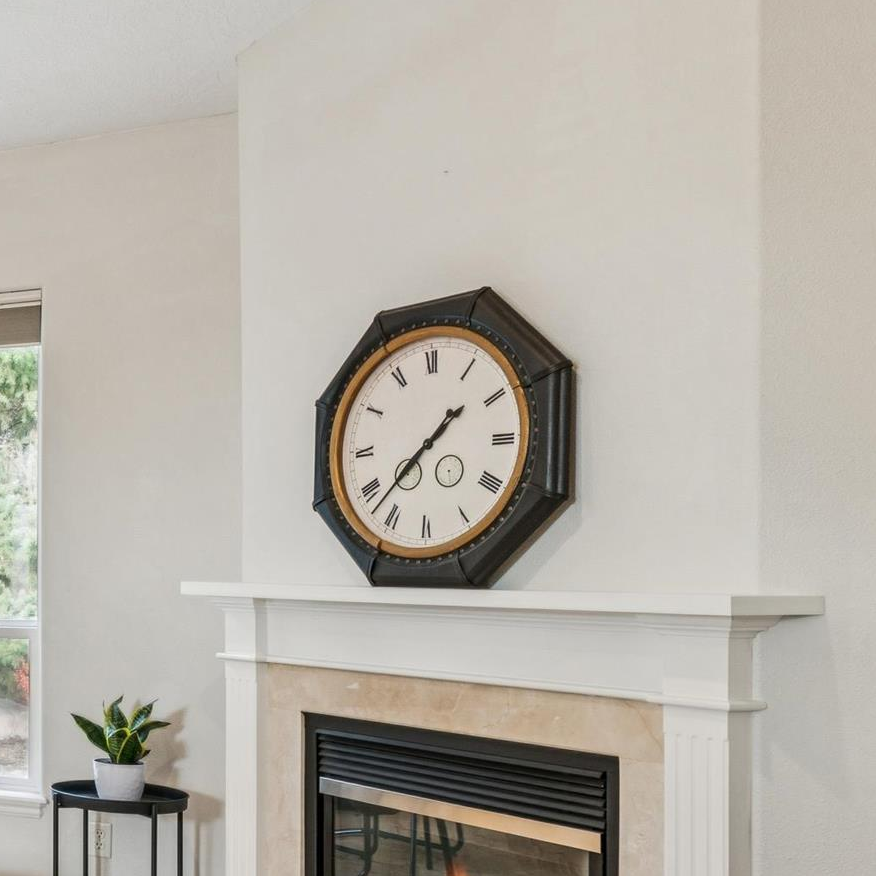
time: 1:37
